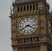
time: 3:40
